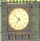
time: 6:52
